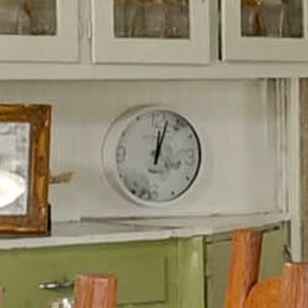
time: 12:02
